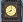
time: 8:01
